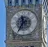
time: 11:35
